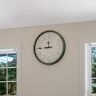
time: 11:44
